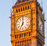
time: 7:00
